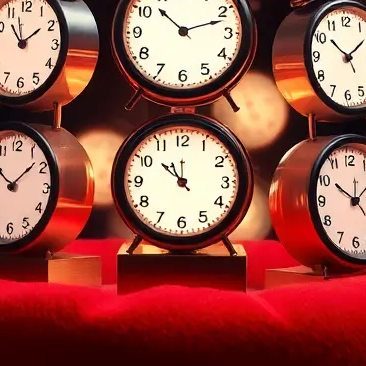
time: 11:52
